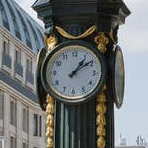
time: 1:09
